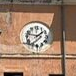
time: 1:47
